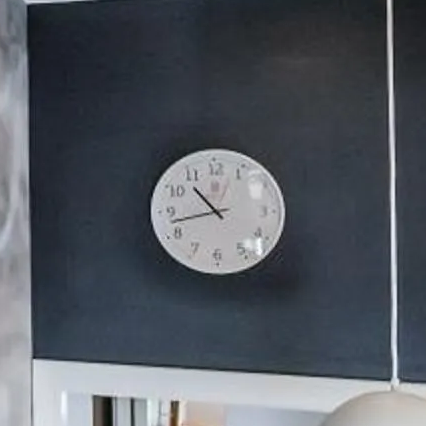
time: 10:42
